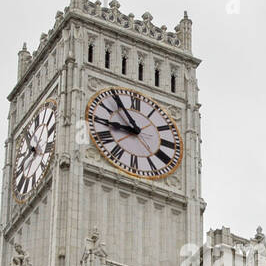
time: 8:54
